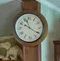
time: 11:20
